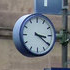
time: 3:20
